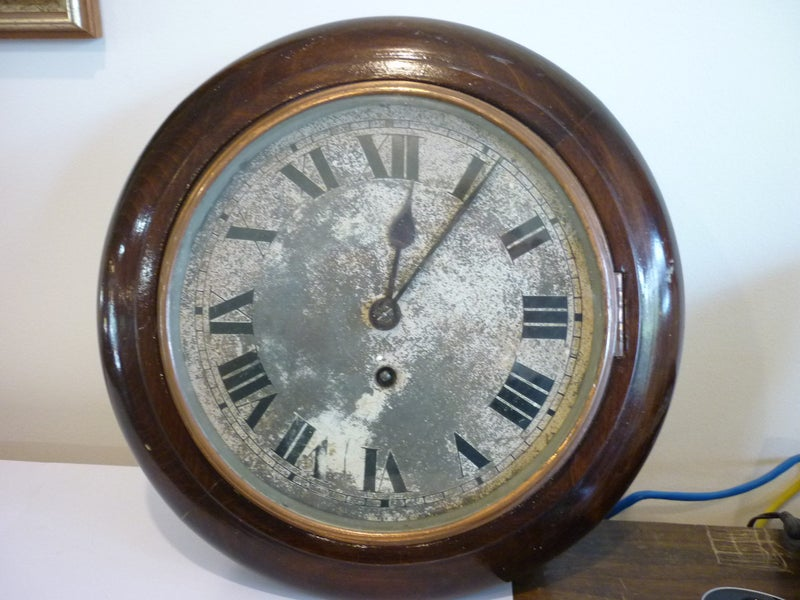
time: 12:05
